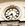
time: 5:40
